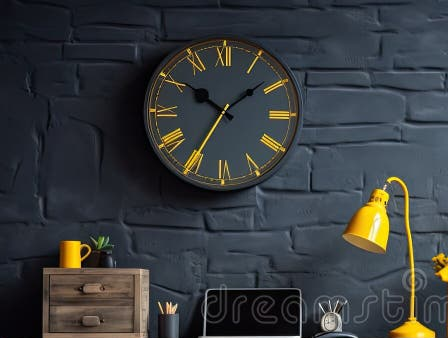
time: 10:08
